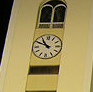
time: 10:49
